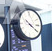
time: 10:20
